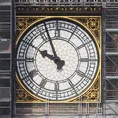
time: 9:56
